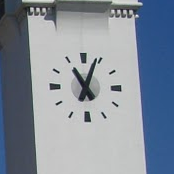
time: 11:03
